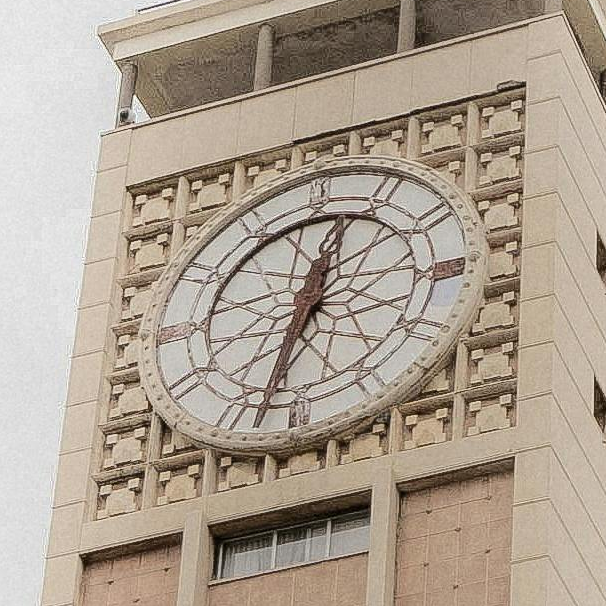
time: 12:32
